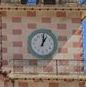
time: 1:01
